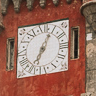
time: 7:04
